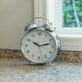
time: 10:12
